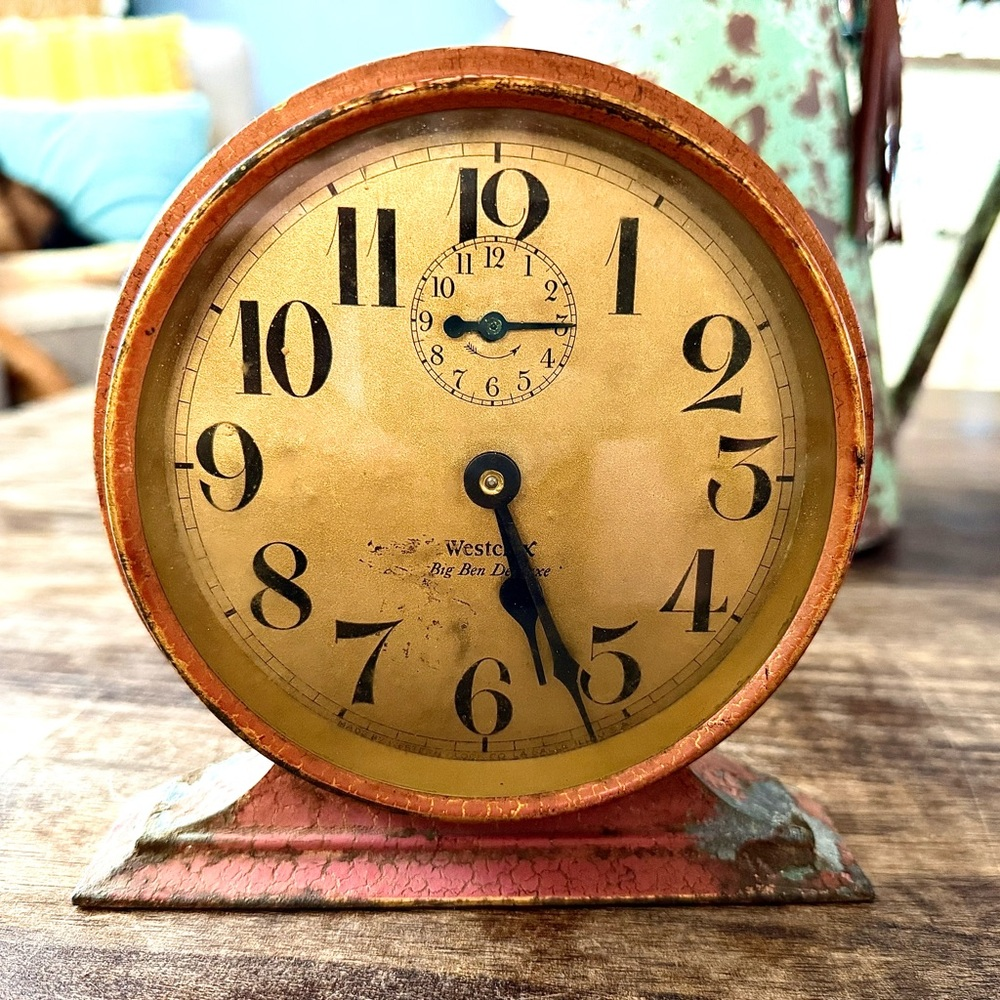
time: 5:26
